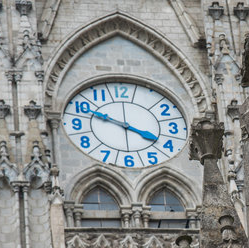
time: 3:48
